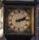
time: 2:13
